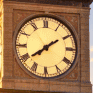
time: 7:39
